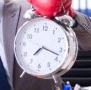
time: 7:17
